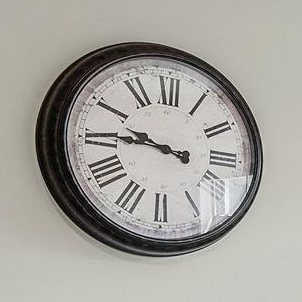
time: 9:45
